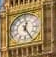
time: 12:24
